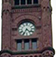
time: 4:35
